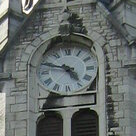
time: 4:47
